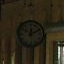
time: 12:10
